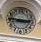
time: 2:46
